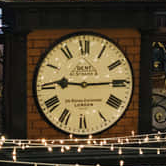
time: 9:14
